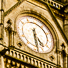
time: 4:29
